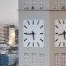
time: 5:44
